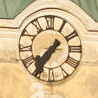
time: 7:35
